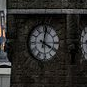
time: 4:02
